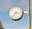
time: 3:36
